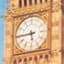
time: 5:44
